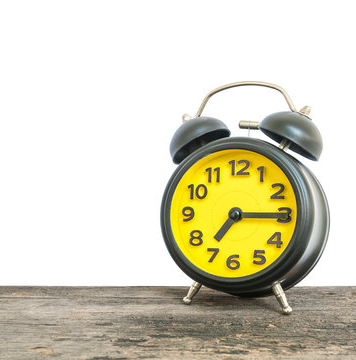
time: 7:15
